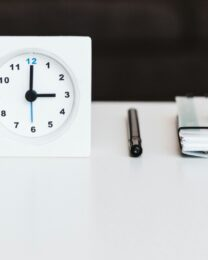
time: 3:00
